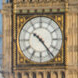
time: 10:23
